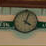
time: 4:02
